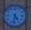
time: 4:31
